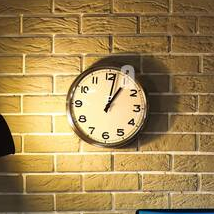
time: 1:02
